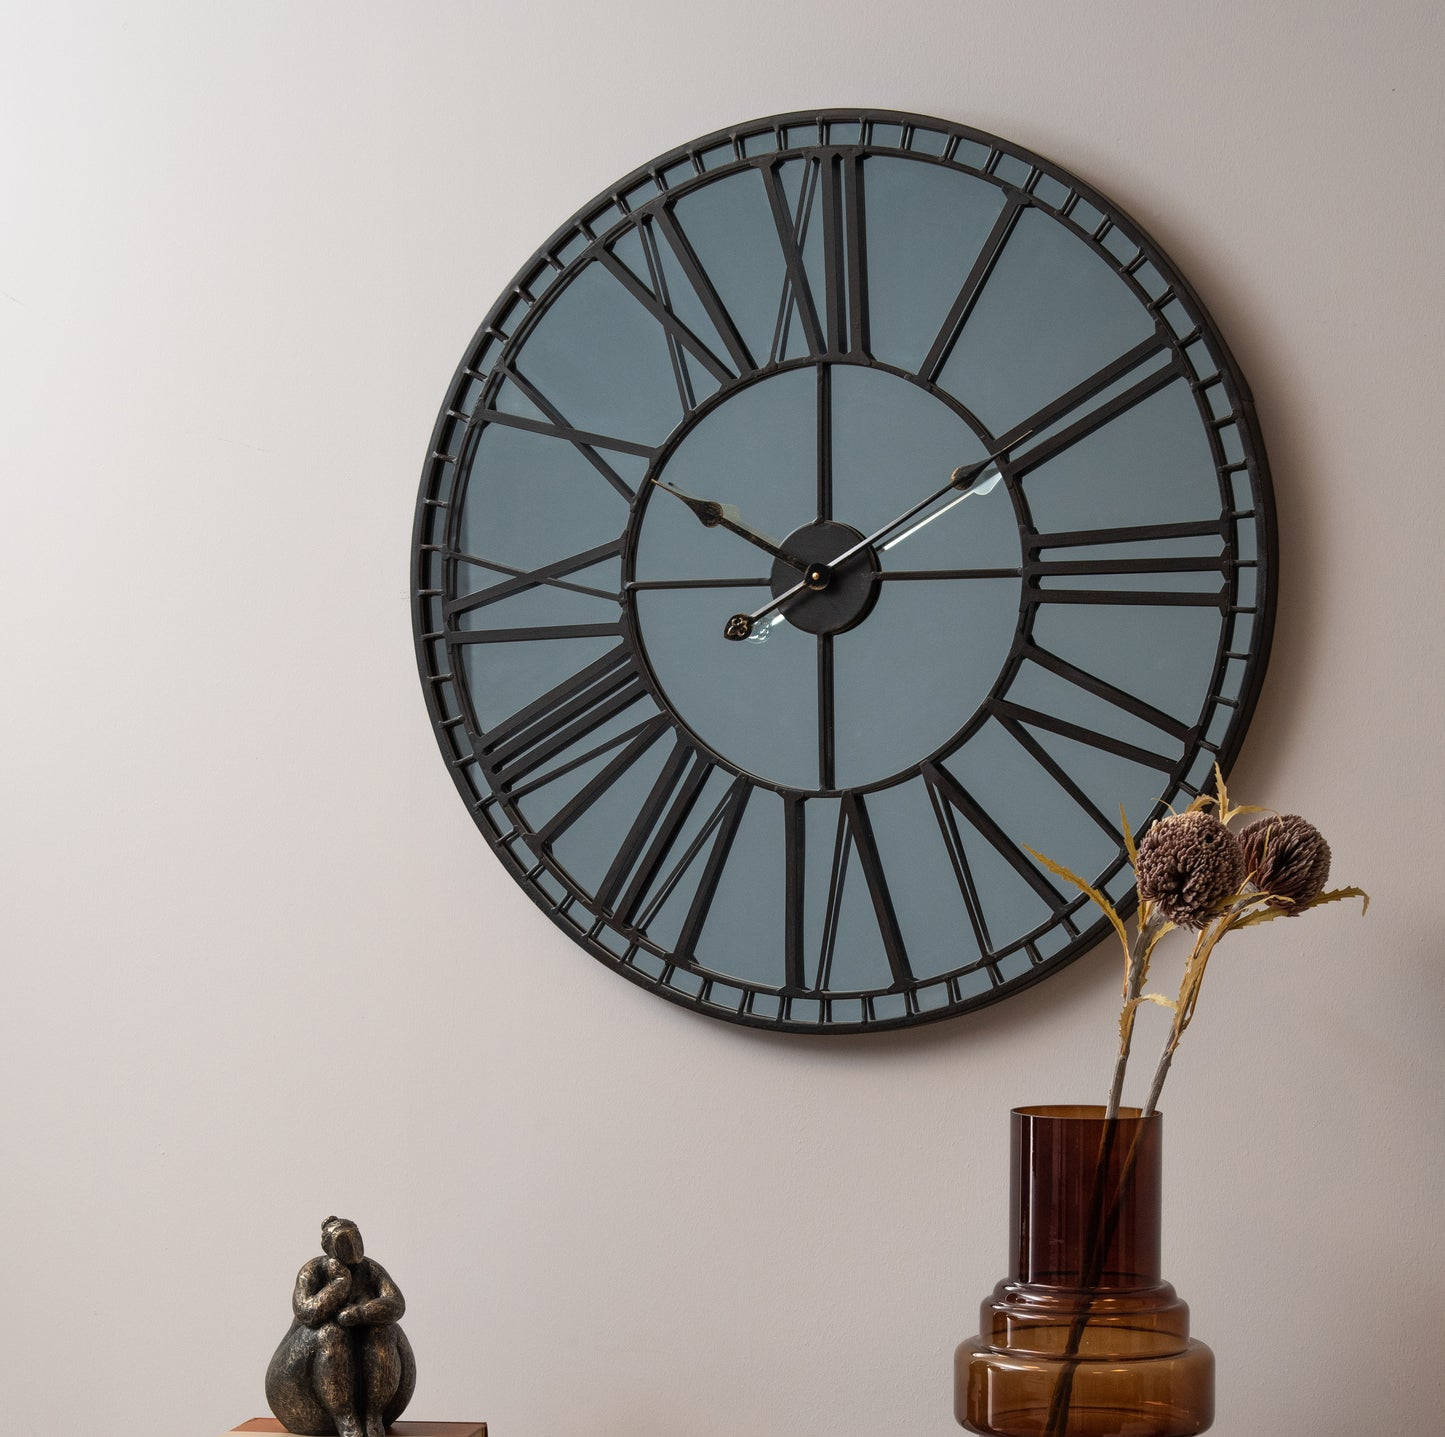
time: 10:00
